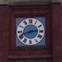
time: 2:41
